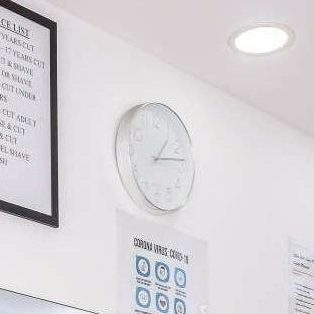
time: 1:13
